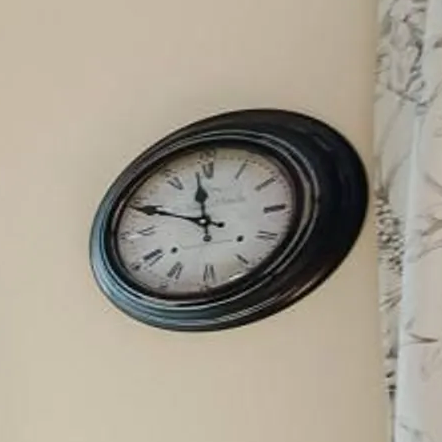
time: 11:48
